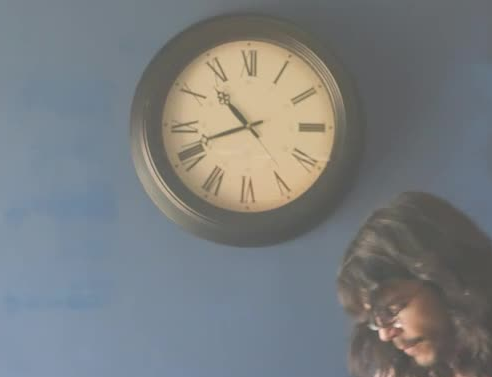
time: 10:41
